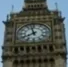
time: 7:57
